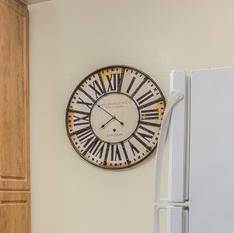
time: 7:51
